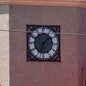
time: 1:33
